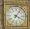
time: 4:06
